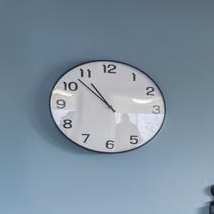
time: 10:52
